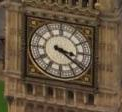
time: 3:21
